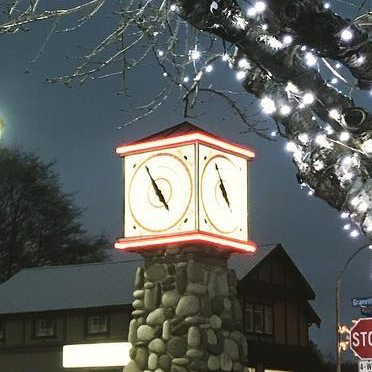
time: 4:55
